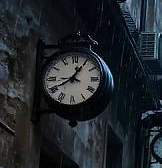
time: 12:40
